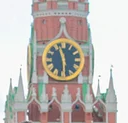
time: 11:29
